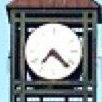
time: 7:22
